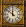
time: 11:51
